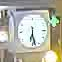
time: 6:27
